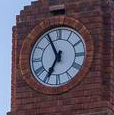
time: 6:55
